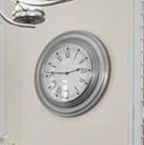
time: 2:46
